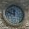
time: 11:48
